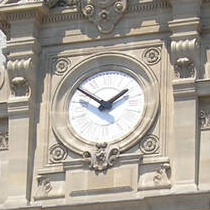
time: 1:50
